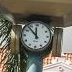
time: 11:53
